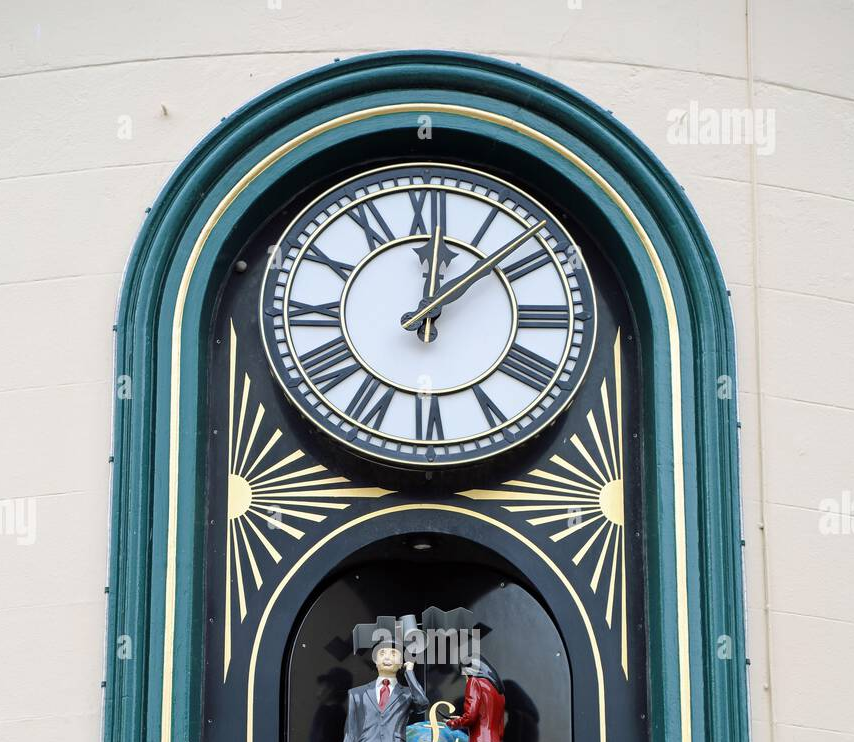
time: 12:08
